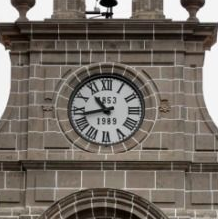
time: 10:42
